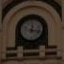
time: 12:16
